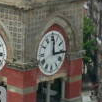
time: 12:14
